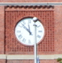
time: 11:52
